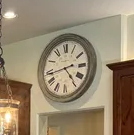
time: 4:43
